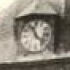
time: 11:22
